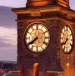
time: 7:39
